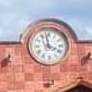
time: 3:58
